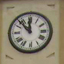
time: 11:53
